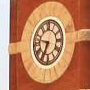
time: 6:47
